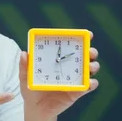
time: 12:11
